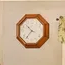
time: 10:36
